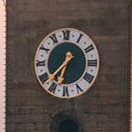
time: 6:37
